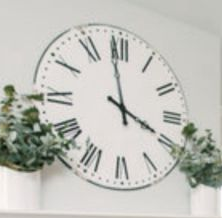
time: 3:58
